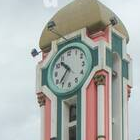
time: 10:37
